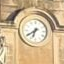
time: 6:39
